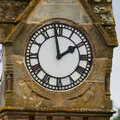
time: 1:58
